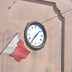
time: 1:36
